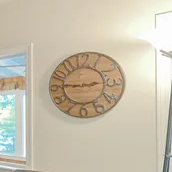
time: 2:46
